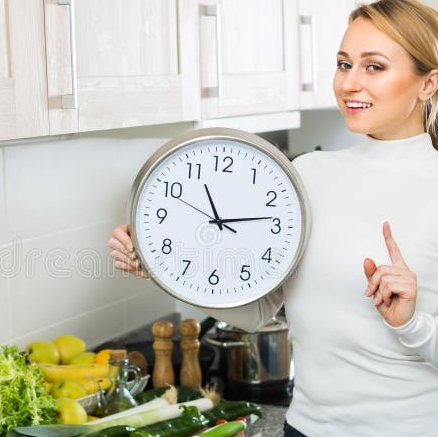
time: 11:13
